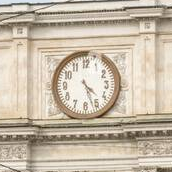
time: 4:26
